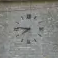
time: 7:46
